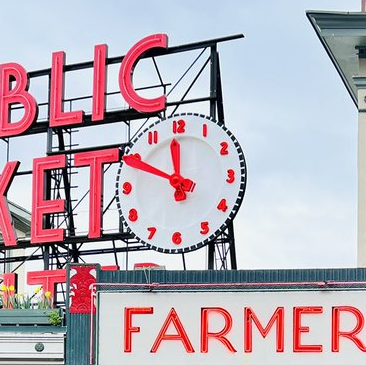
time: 11:49
